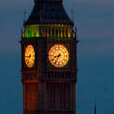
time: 8:35
